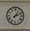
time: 1:11
